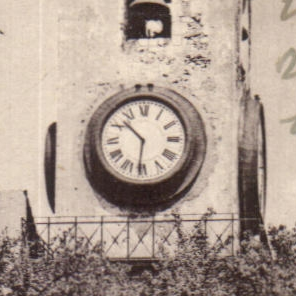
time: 10:31
